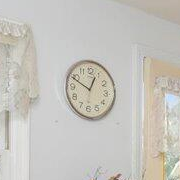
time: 12:49
